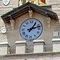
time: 1:12
